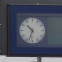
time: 10:33
